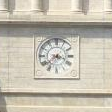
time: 3:38
